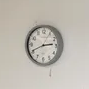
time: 2:41
